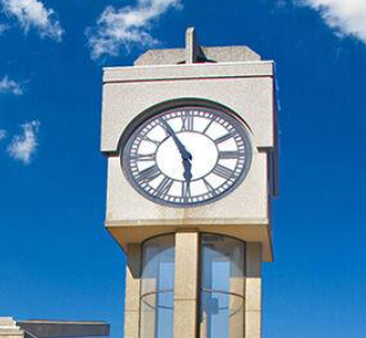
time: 5:55
